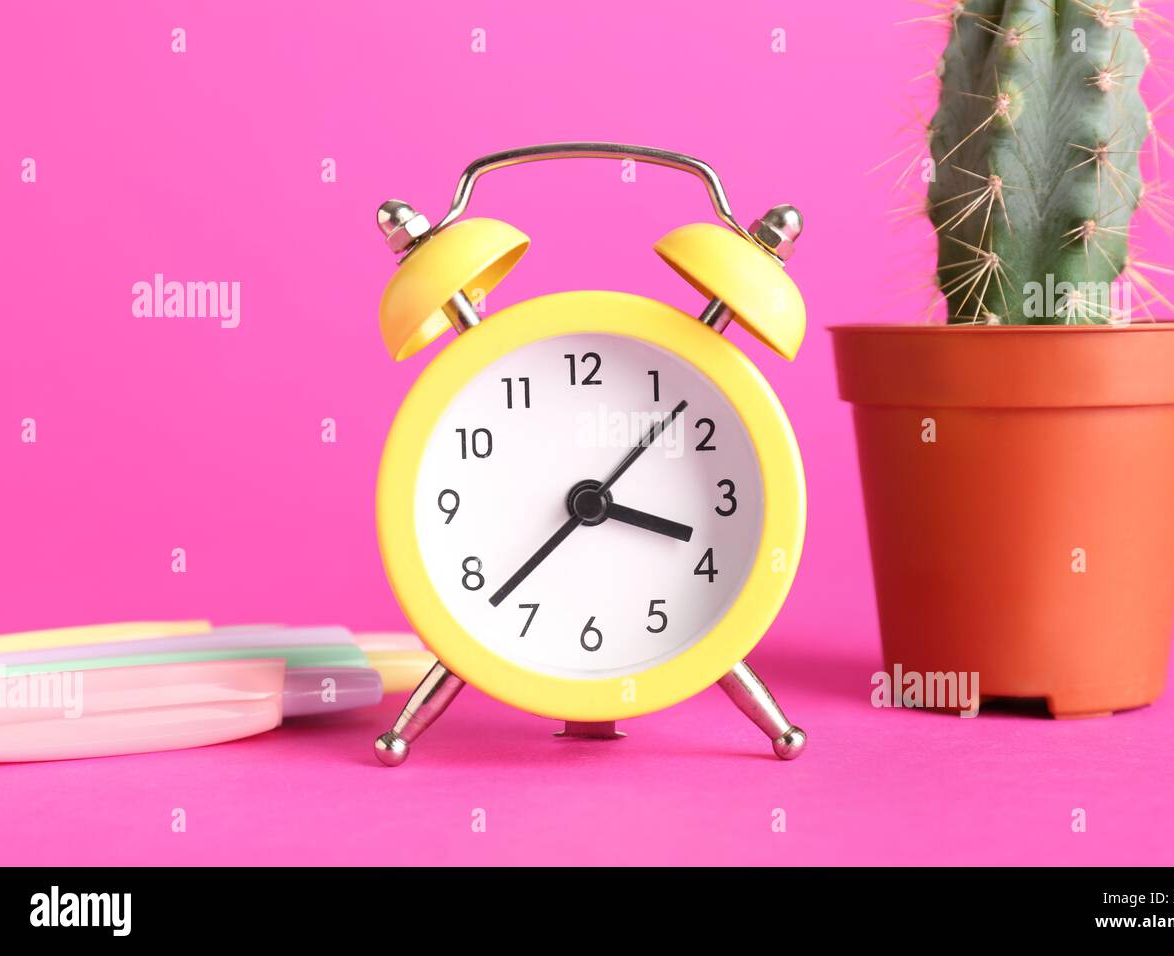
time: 3:37
